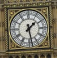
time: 1:28
